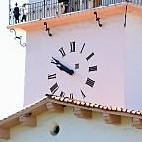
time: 9:50
